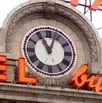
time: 11:03
